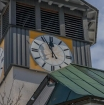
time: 11:55
